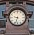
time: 9:33
